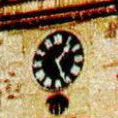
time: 1:26
